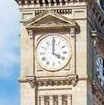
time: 4:00
